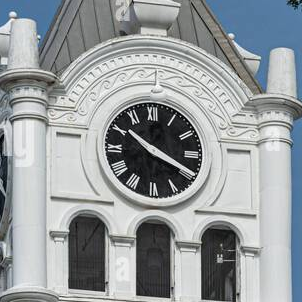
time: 10:19
